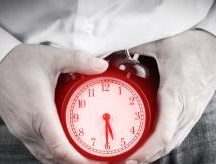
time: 5:30
